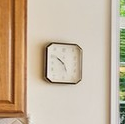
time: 4:50
